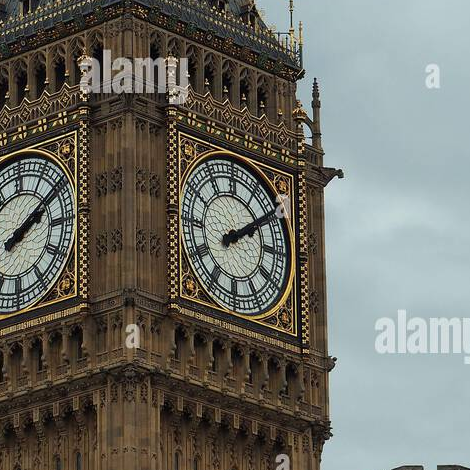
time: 2:09
